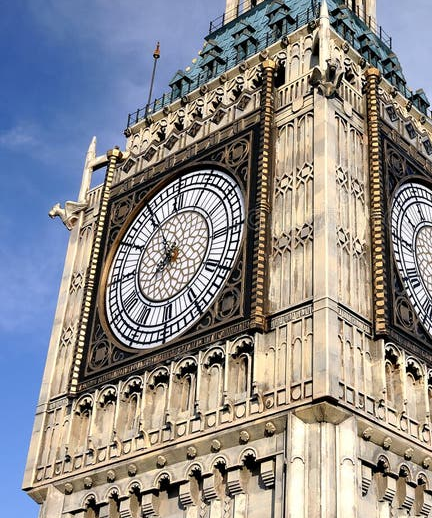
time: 7:55
